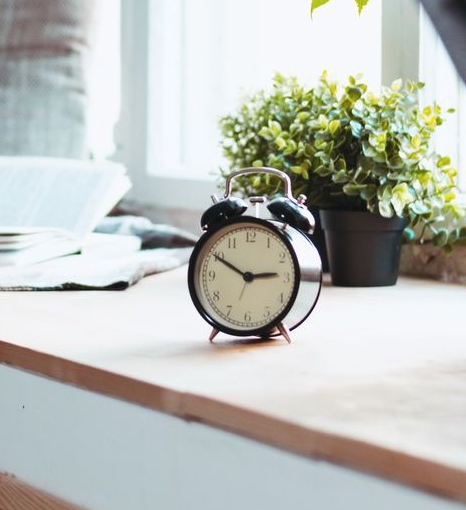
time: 2:49
